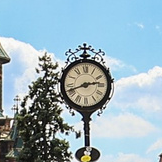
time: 2:41
